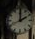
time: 2:00
